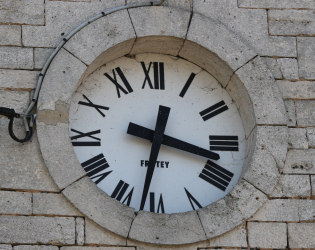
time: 3:32
